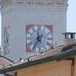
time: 11:35
